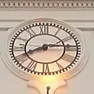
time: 8:14
